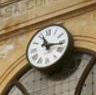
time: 11:16
